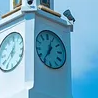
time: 12:36
